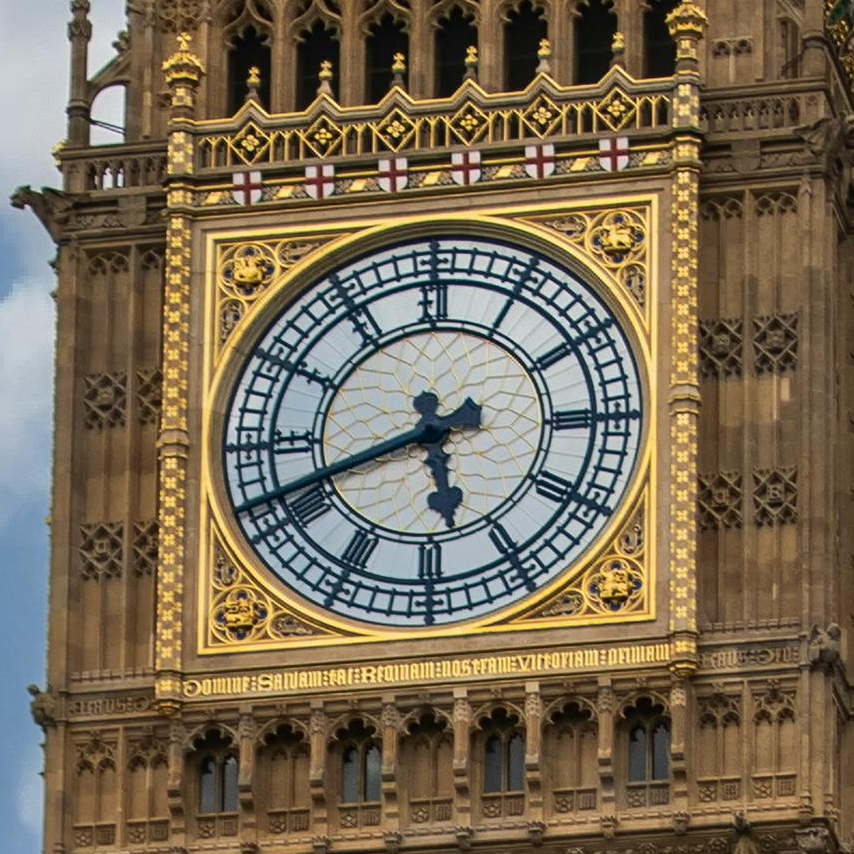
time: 5:41
